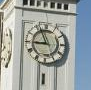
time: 8:56
